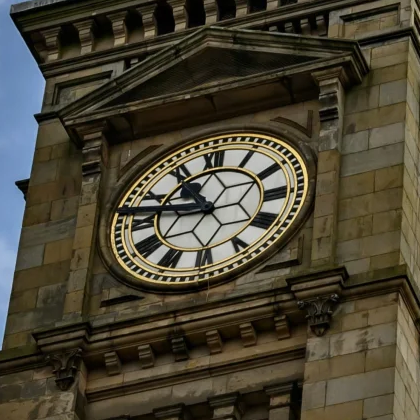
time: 10:47
